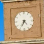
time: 4:35
